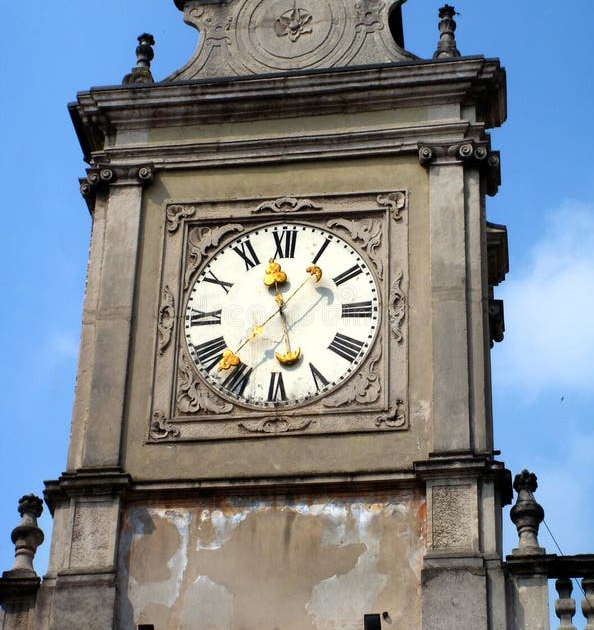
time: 11:37
